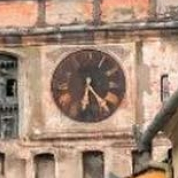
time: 6:23
